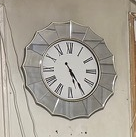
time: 5:24
